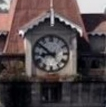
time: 8:51
